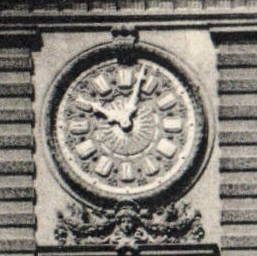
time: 10:02
